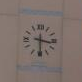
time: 3:29
